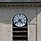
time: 4:39
